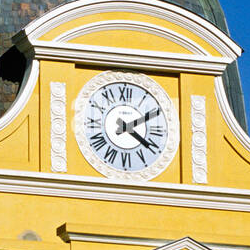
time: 4:10
